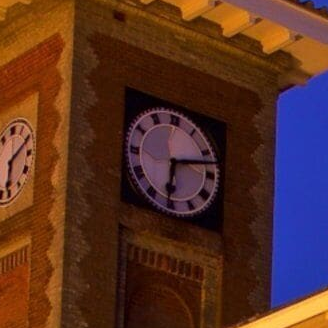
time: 6:12
